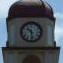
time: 10:28
